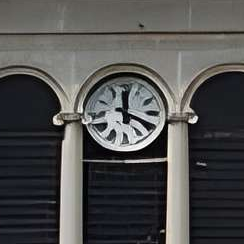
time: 12:19
